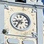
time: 9:36
